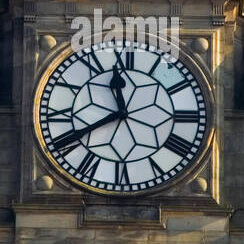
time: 11:40
